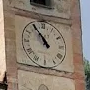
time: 10:54
